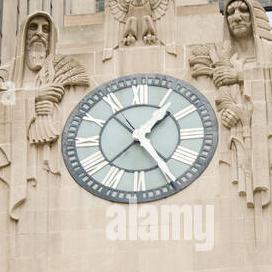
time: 1:24
